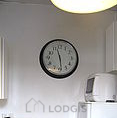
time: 11:28
